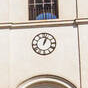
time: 1:02
